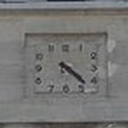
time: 4:22
